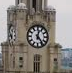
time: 12:23
